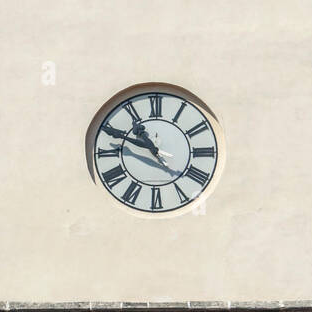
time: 10:48
